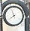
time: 7:57
